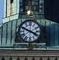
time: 3:48
